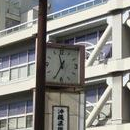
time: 11:34
